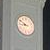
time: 8:50
